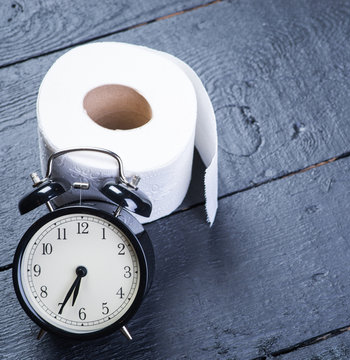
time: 6:34
